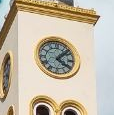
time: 4:07
